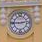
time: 2:44
